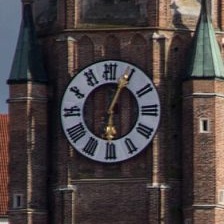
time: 6:04
